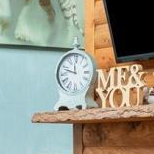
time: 11:48
